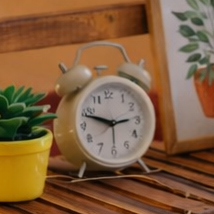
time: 2:48
